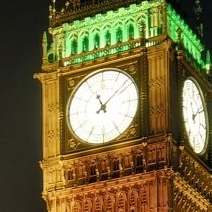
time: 11:08
